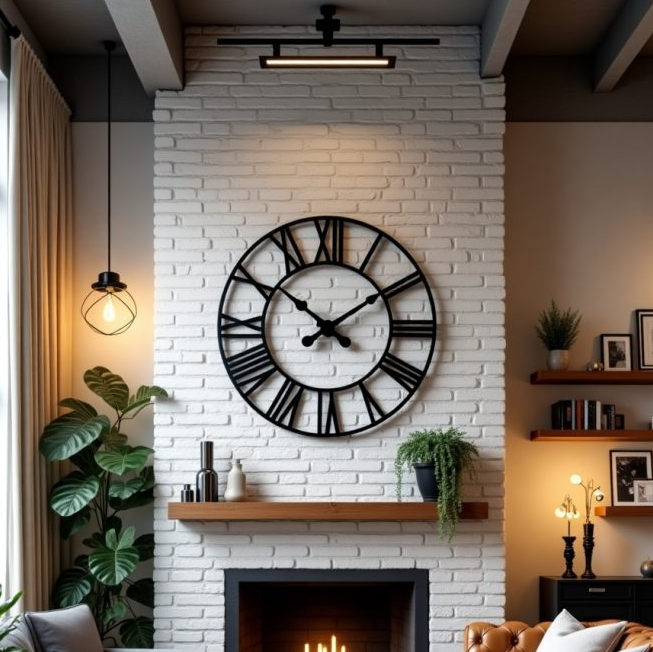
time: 10:09
